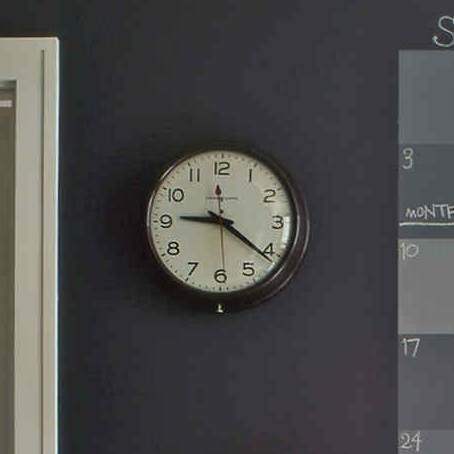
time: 9:21
